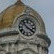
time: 3:52
